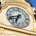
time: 6:41
